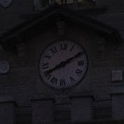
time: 8:10
